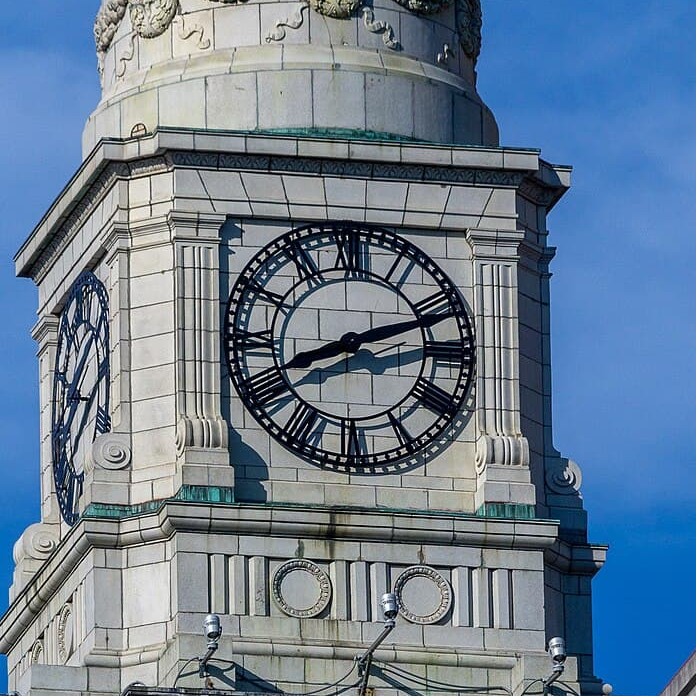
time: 8:11
